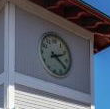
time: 2:21
